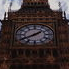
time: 1:40
